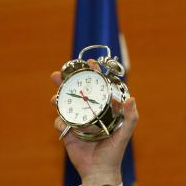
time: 3:48
